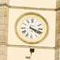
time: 4:18
